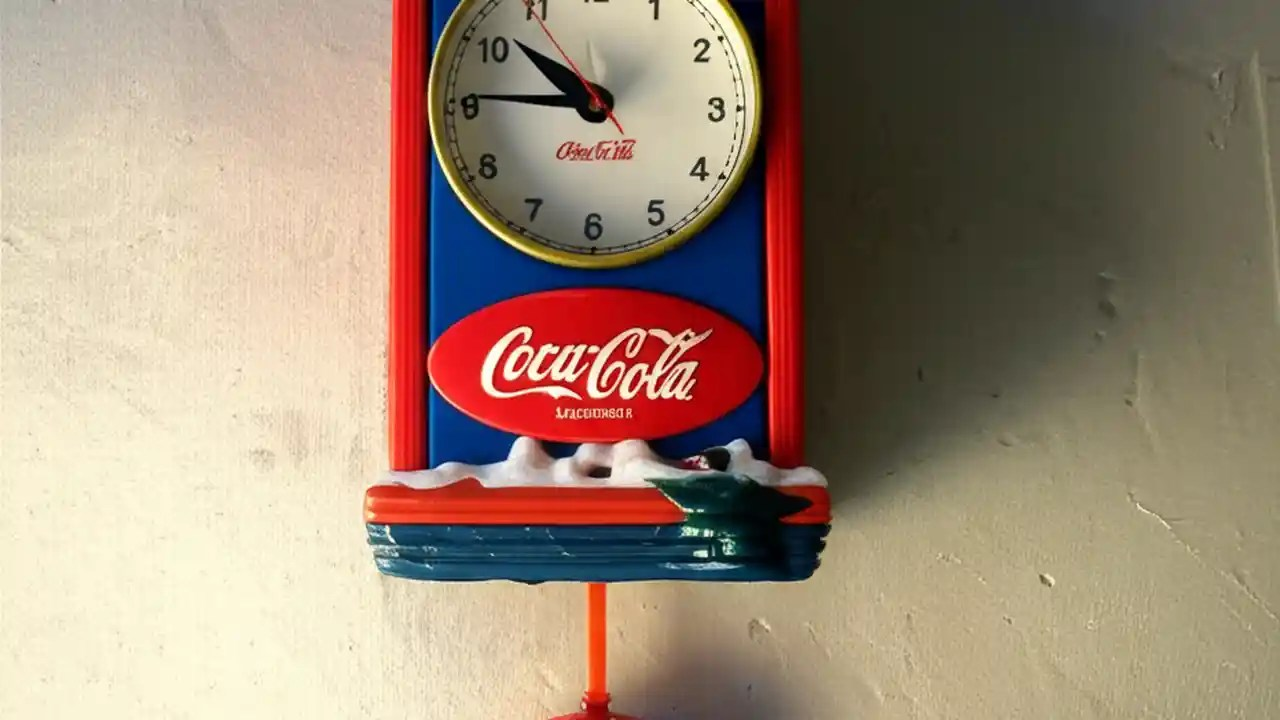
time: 10:45
